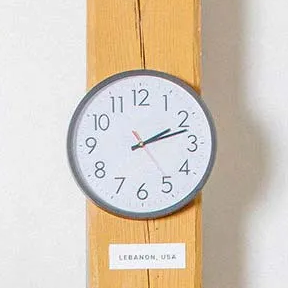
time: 2:12
